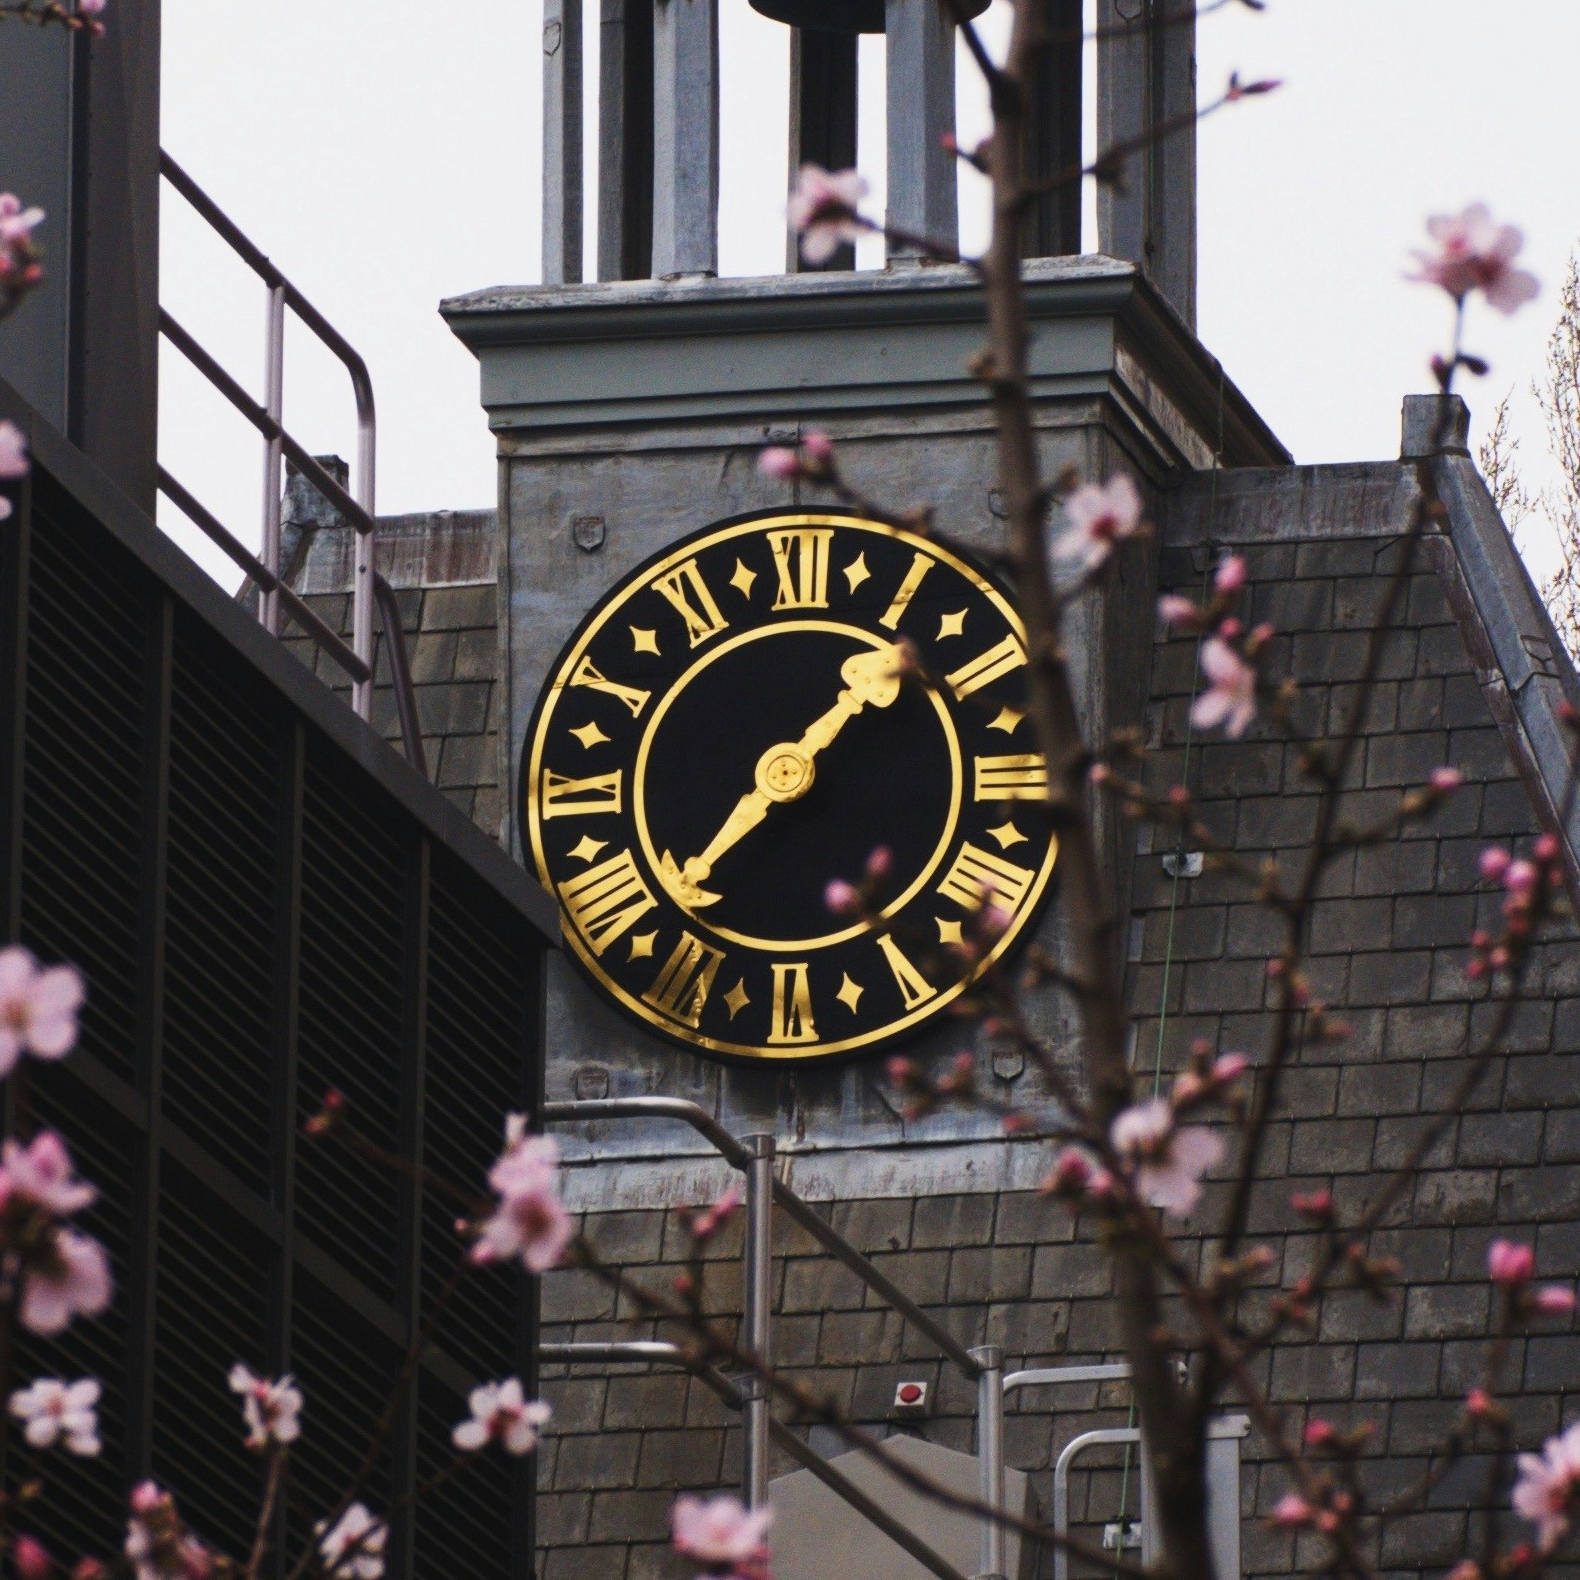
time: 1:37
